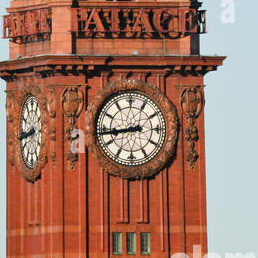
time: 8:43
